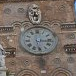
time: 6:16
